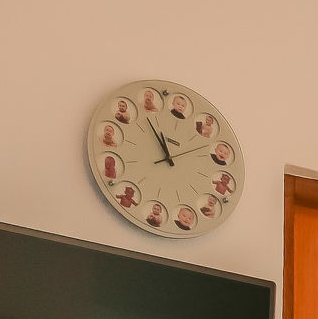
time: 11:56
